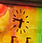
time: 6:46
